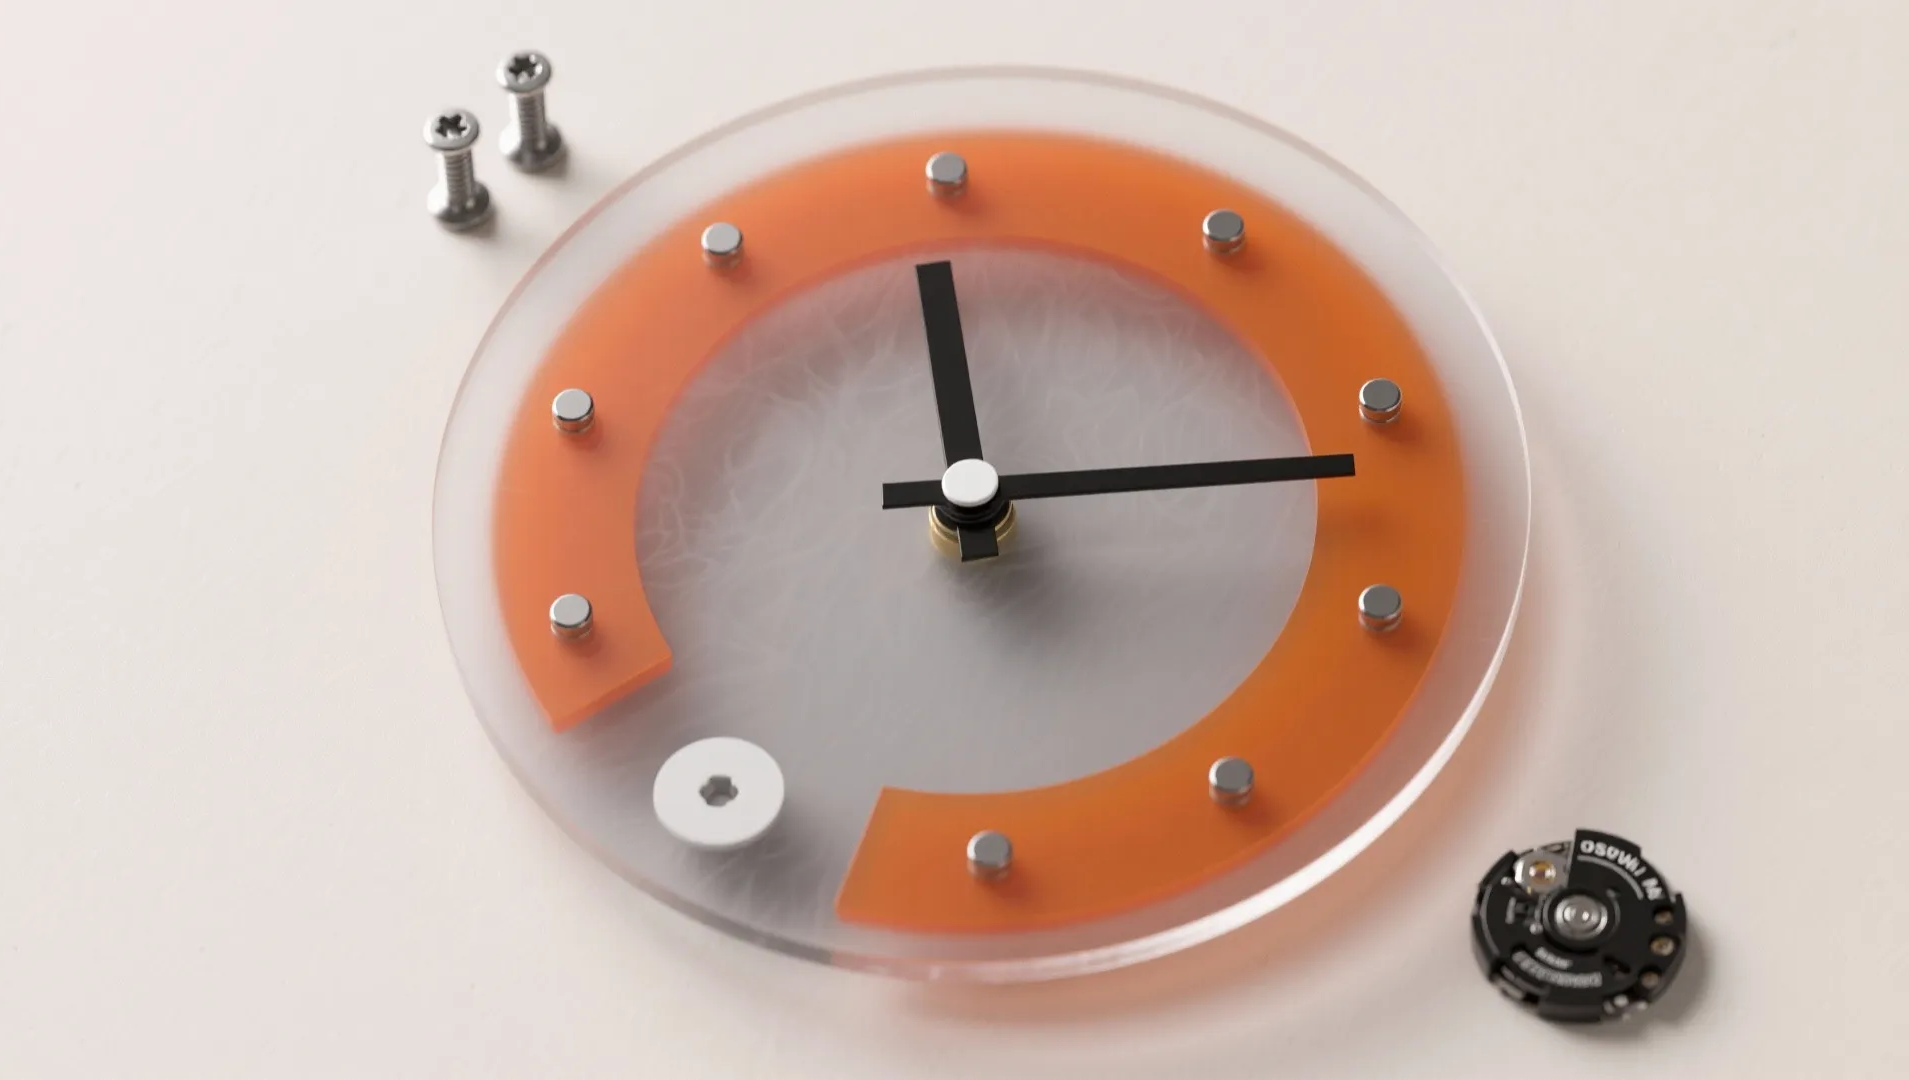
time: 12:16
